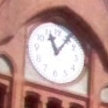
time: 11:06
